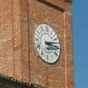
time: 3:12
